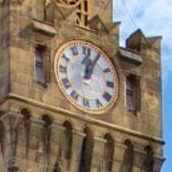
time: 12:04
